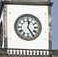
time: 12:24
